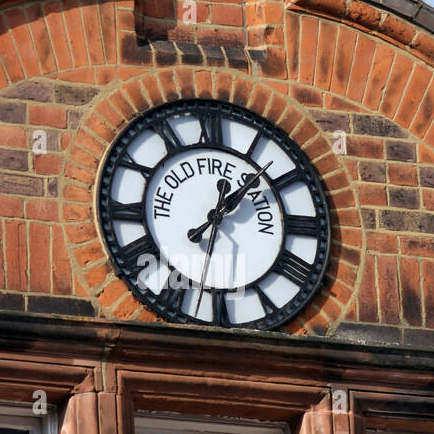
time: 12:07
